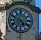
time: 4:49
